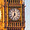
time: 6:59
